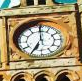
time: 7:00
